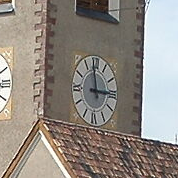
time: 2:58
